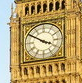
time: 3:50
